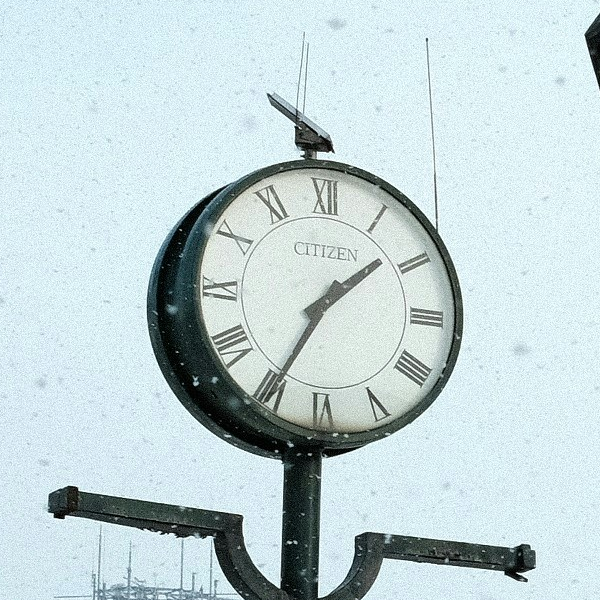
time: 1:34
